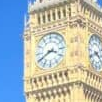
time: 3:39
